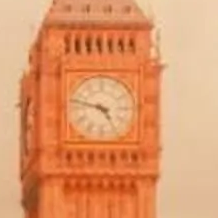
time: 4:47
